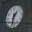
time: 1:32
